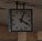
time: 4:03
